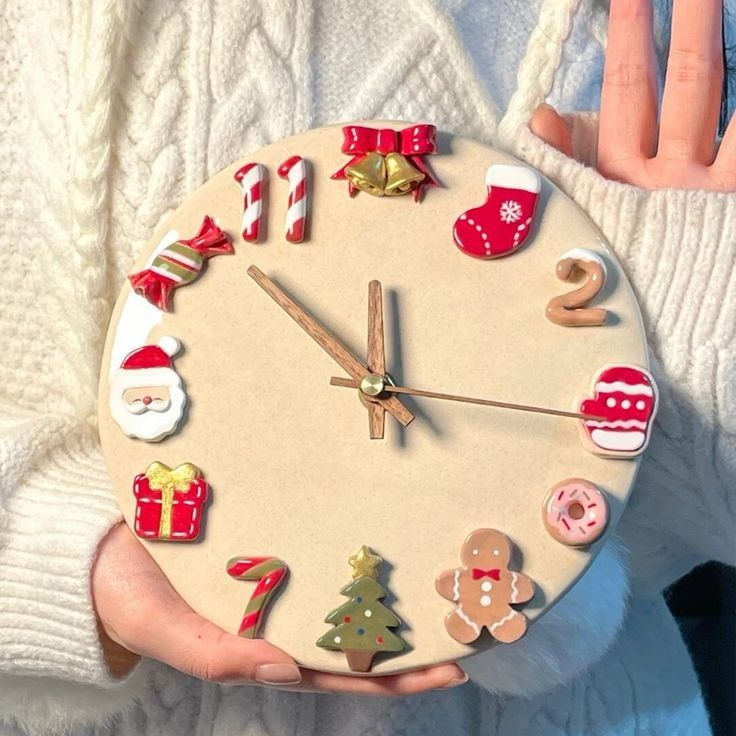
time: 11:52
